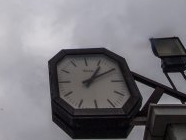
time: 1:10
